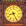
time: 8:25
